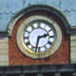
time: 2:32
